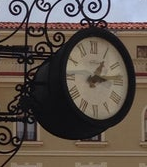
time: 1:13
